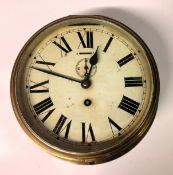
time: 12:48
